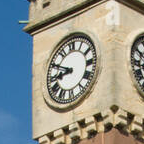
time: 8:49
